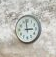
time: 2:58
